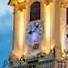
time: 8:07
